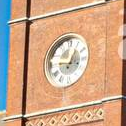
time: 12:46
